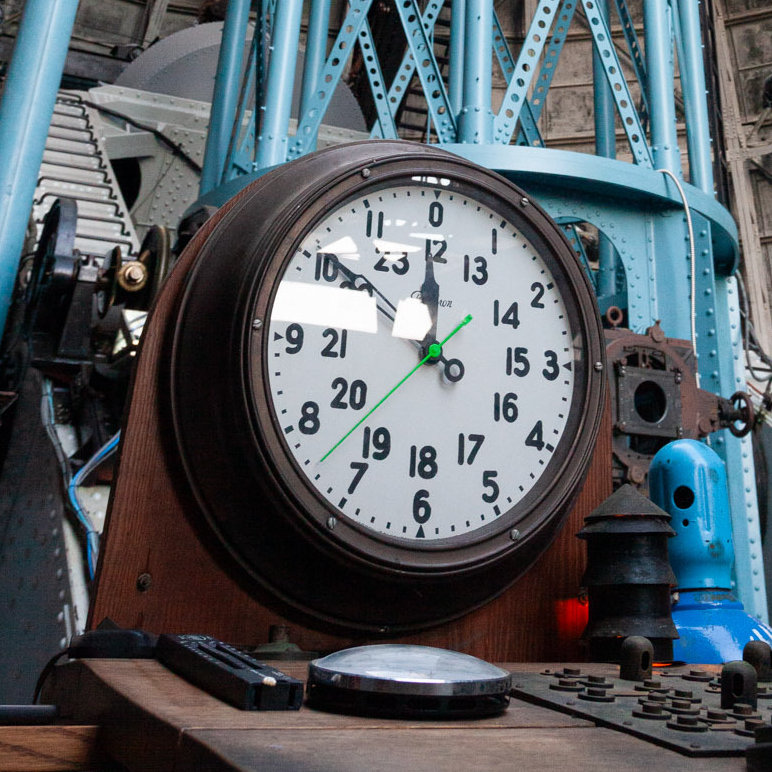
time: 11:51
